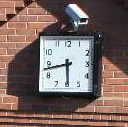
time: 5:43
